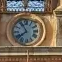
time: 7:54
